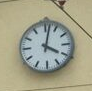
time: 4:02
